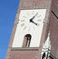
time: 1:18
